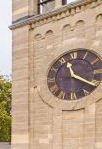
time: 11:20
